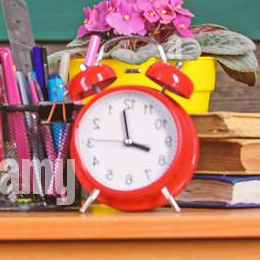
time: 3:58
